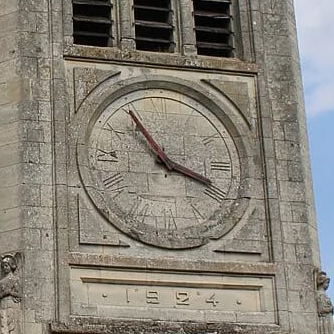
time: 3:54
